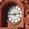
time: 2:45
